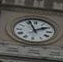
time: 1:56
